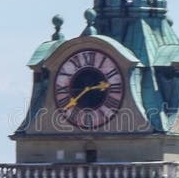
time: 2:38
